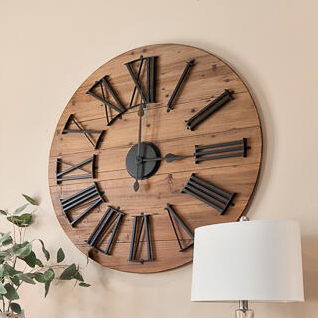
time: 3:00
